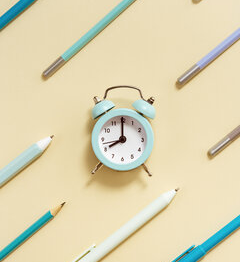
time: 7:59
